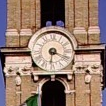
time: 6:18
